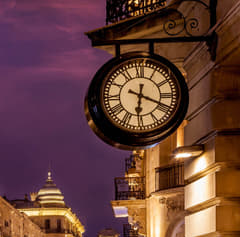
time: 6:18
